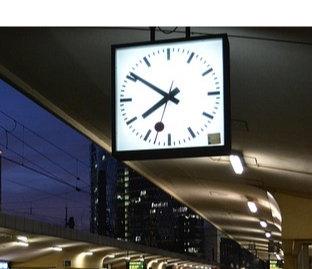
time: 7:50
